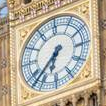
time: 6:37
